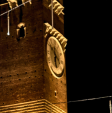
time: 5:51
